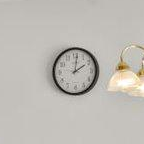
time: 2:01
